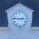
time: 2:46
